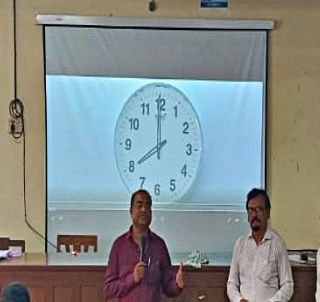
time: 7:59
